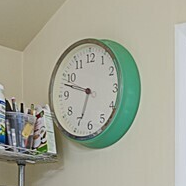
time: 6:47
